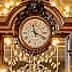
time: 11:19
